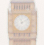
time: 11:10
